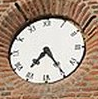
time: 7:24
